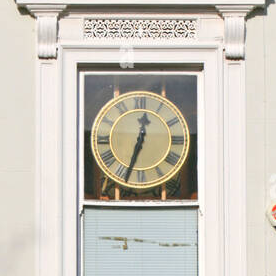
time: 12:33
